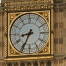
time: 8:34
